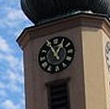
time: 12:55
